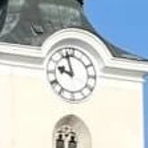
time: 9:57
